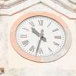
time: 10:32
